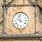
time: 9:57
